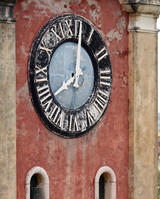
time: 8:01
